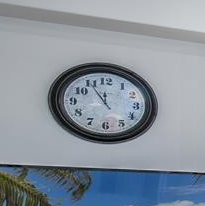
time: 11:54
